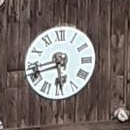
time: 5:42
